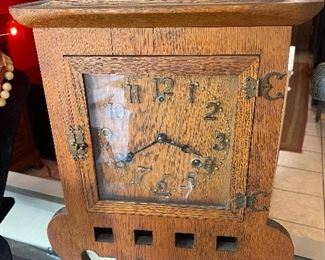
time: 3:40
